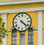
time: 4:22
